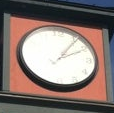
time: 2:06
